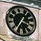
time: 3:35
